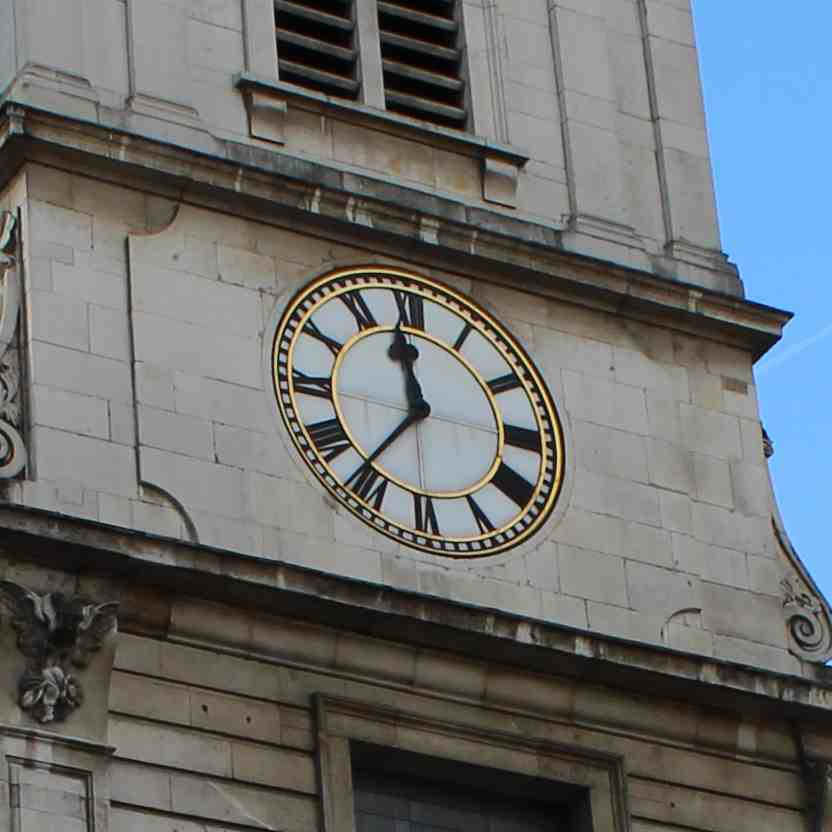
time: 11:36
